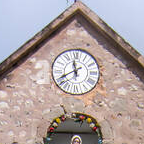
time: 11:40
